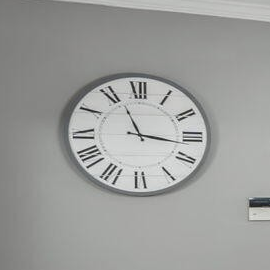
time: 11:16
